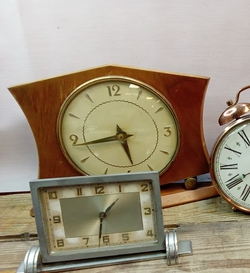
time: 5:43
